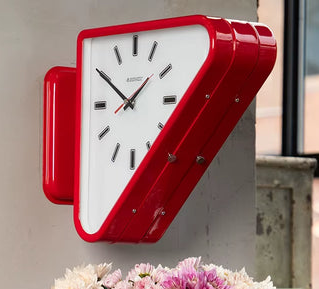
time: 1:50
